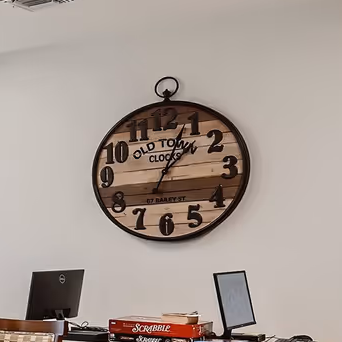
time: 1:03
